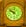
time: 9:51
